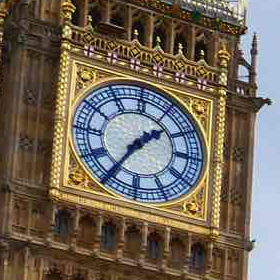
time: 1:35
